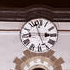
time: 2:57
